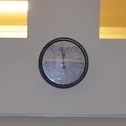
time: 11:58
